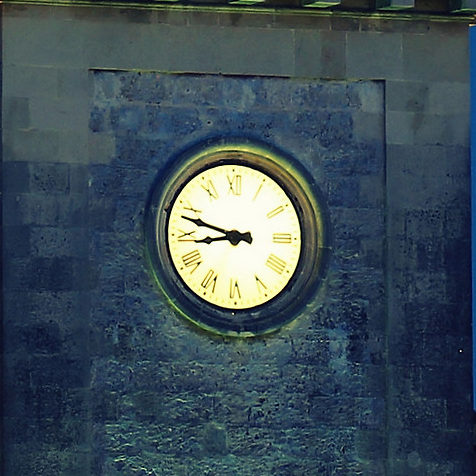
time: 8:47
